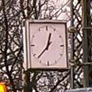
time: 12:37
